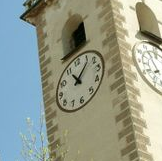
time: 11:07
